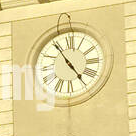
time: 4:54
